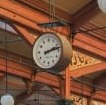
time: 2:12
